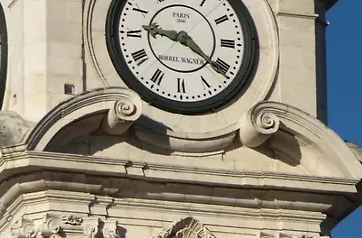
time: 9:21
